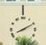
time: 8:10
